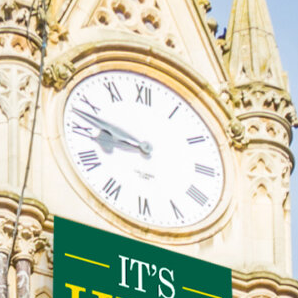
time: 8:47
